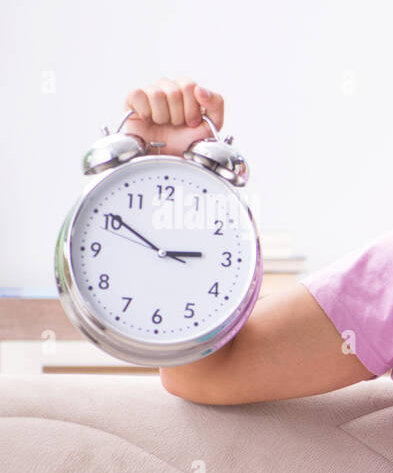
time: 2:50
